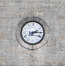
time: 2:15
